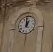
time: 12:59
